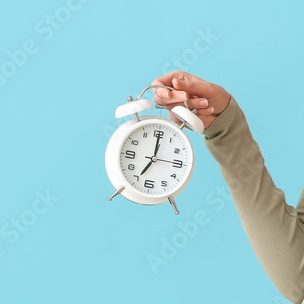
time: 7:00
